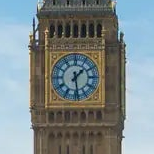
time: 1:28
